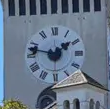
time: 1:47
